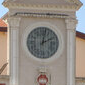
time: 2:01
